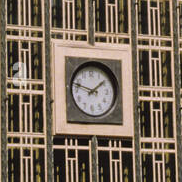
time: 1:47
